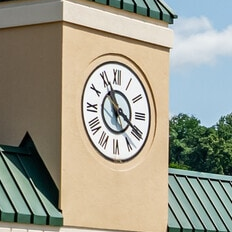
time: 11:19
